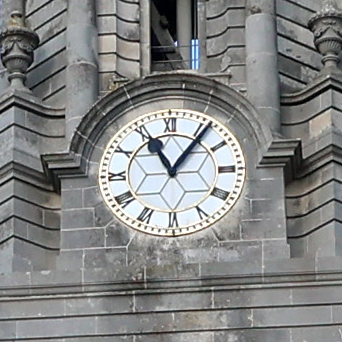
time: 11:06
